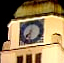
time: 7:32
